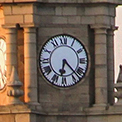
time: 6:22
